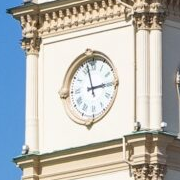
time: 2:57
